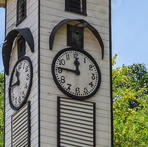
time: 11:46
